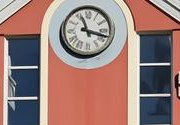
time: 11:17
